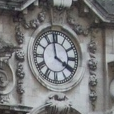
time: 3:58
